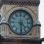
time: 4:29
